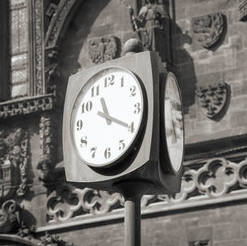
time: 11:19
